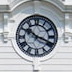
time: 10:18
